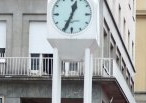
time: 12:34
